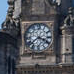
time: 3:38
